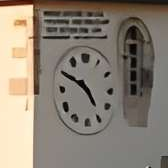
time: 4:49
